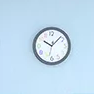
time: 10:07
